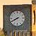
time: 7:40
